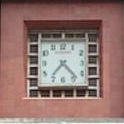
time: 7:23
